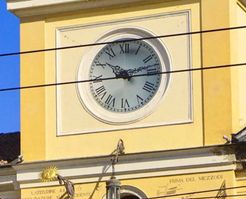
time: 10:13
